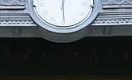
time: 12:29
